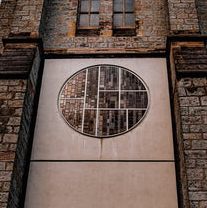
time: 5:59
